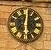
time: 6:01
